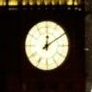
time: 12:09
